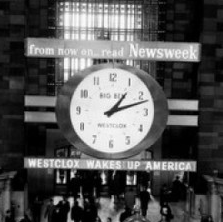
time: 1:11
